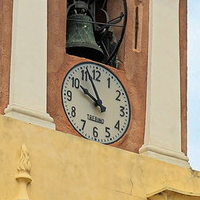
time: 9:56
